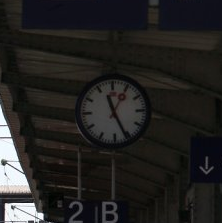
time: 11:25
